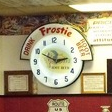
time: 2:48
